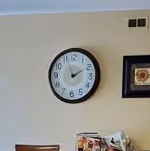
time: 1:56
